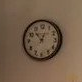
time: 12:53
